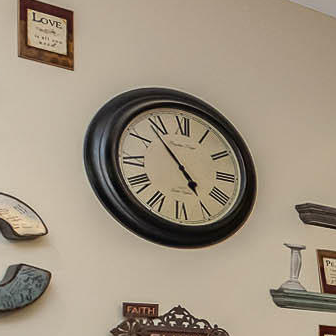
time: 4:53
